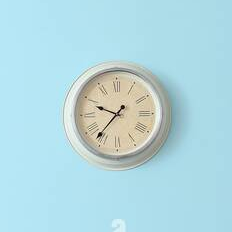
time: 9:36
